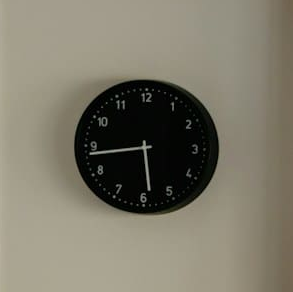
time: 5:43
